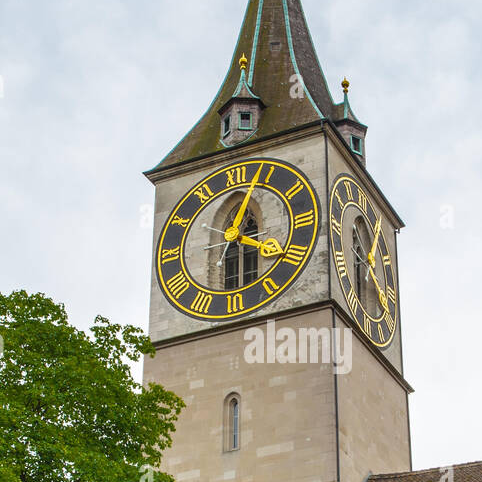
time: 4:03
